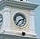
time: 2:36
